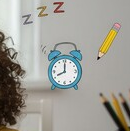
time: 8:00
